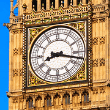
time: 8:17
